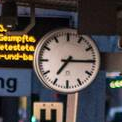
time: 7:15
